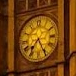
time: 7:25
